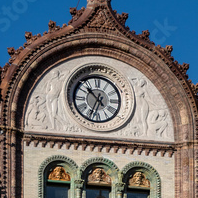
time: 10:34
